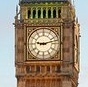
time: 9:12
